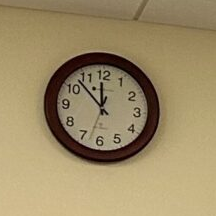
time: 11:52
